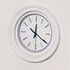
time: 12:20
